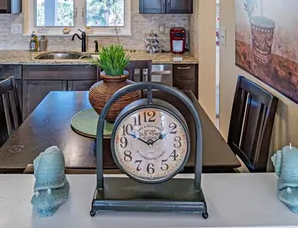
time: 1:49
